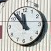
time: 11:53
